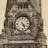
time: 4:26
